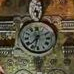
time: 7:32
